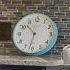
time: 10:32
